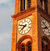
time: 9:38
